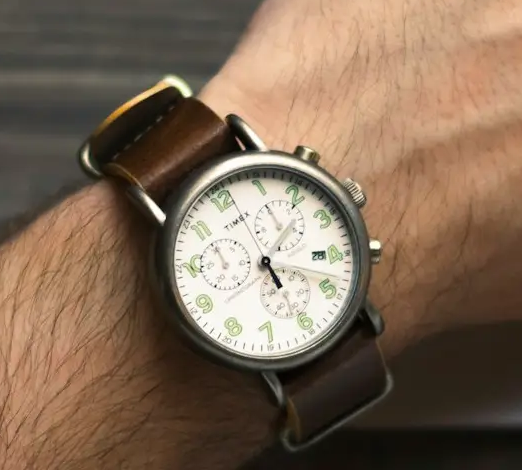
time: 5:06
